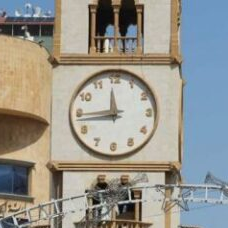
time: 11:44
